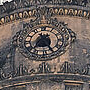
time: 7:24
